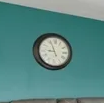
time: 8:56
